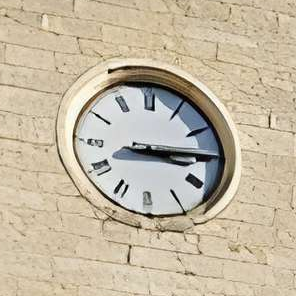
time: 3:14
